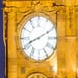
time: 8:10
